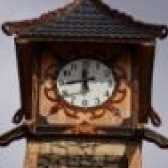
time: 11:44
